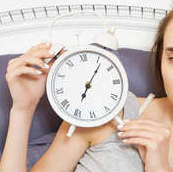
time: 7:06
